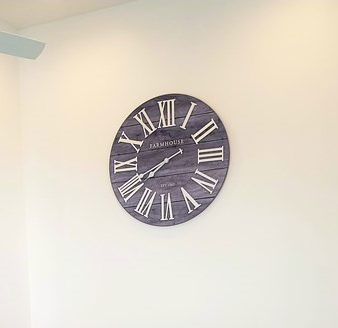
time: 7:40
